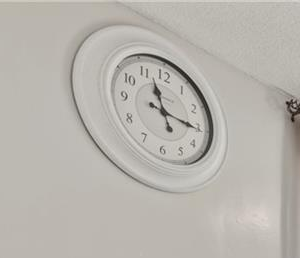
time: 11:15
